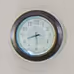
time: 8:29
